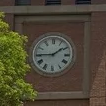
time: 1:44
